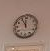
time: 11:55
